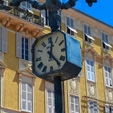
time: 12:23
